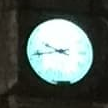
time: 9:42
